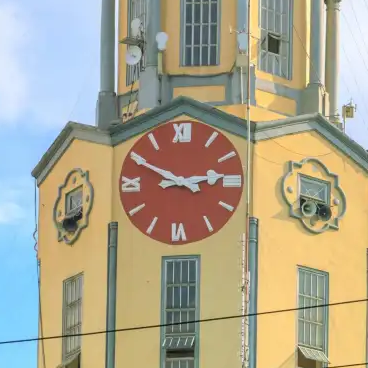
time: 2:49
